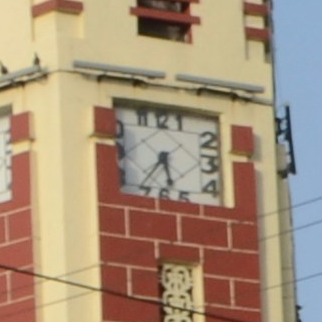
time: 5:36
